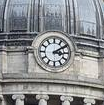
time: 3:09
